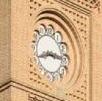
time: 8:16
